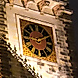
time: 9:10
